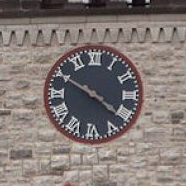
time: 4:21
